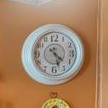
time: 4:27
